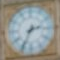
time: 2:34
